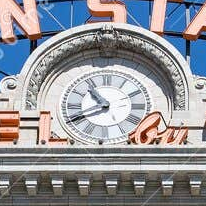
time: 10:40
